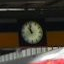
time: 10:58
